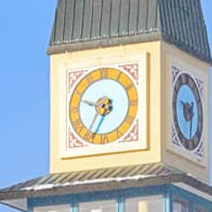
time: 9:35
